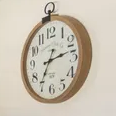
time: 7:13
